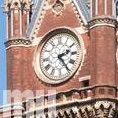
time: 2:24
